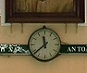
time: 11:38
